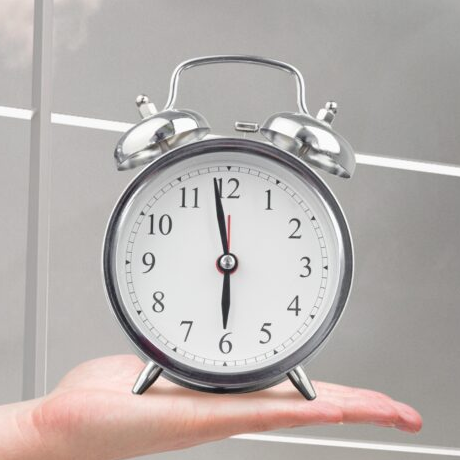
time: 5:58
